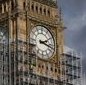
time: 2:17
